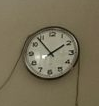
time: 1:53
